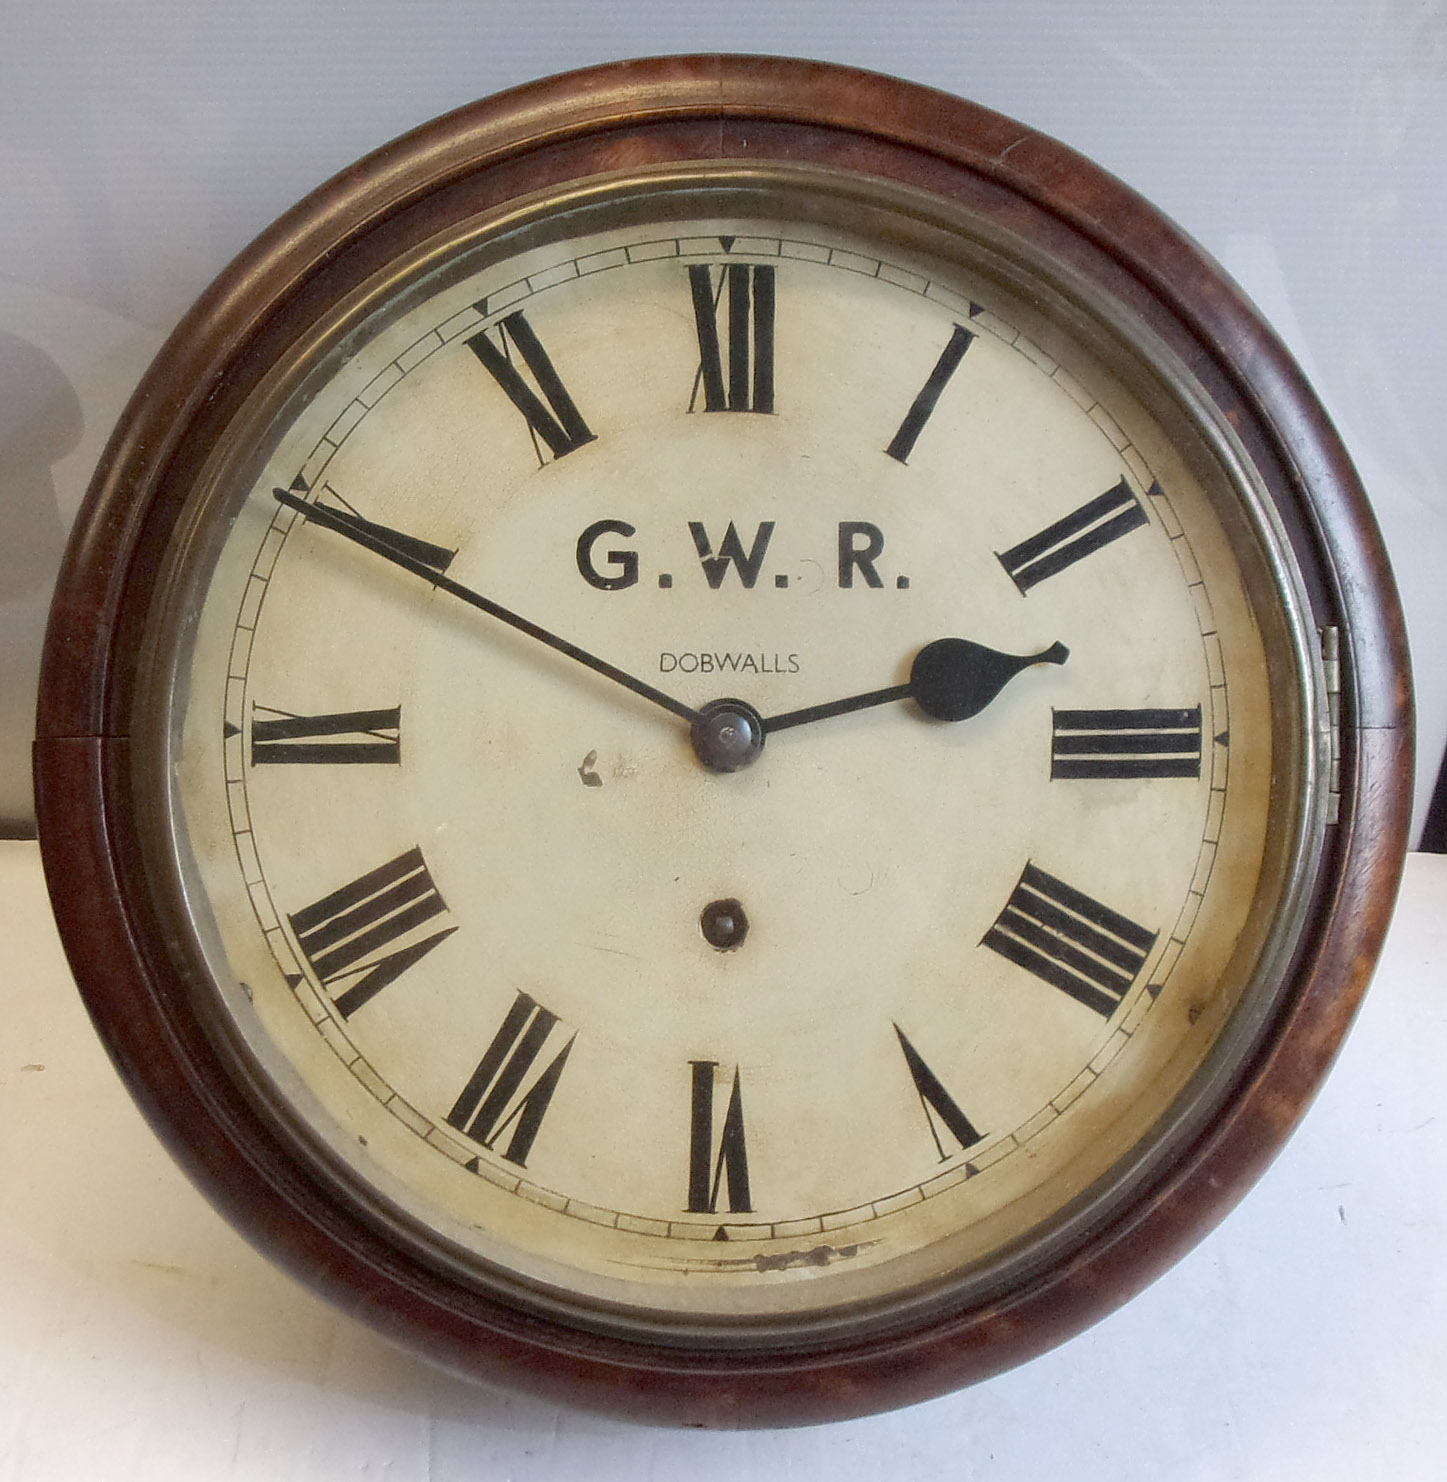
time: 2:49
